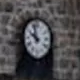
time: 9:57
